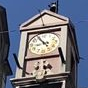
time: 8:54
